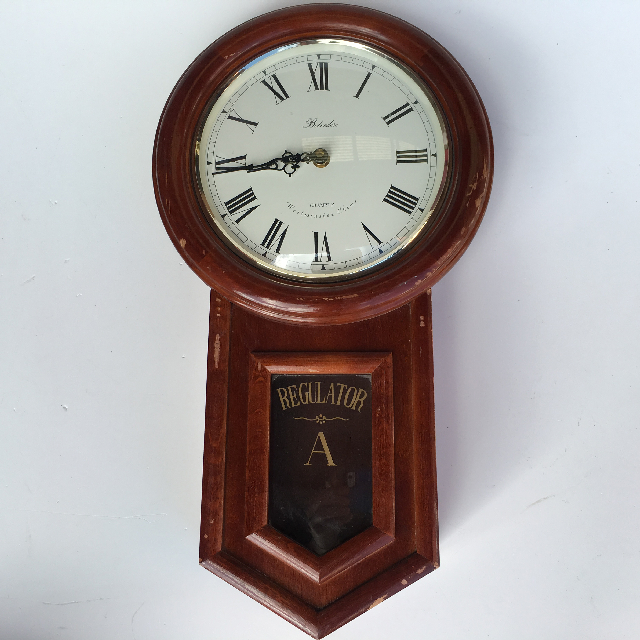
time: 8:43
